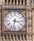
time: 3:32
